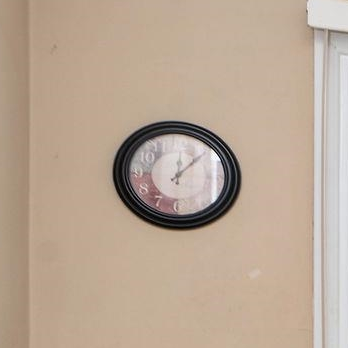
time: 12:07
